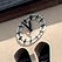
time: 11:53
